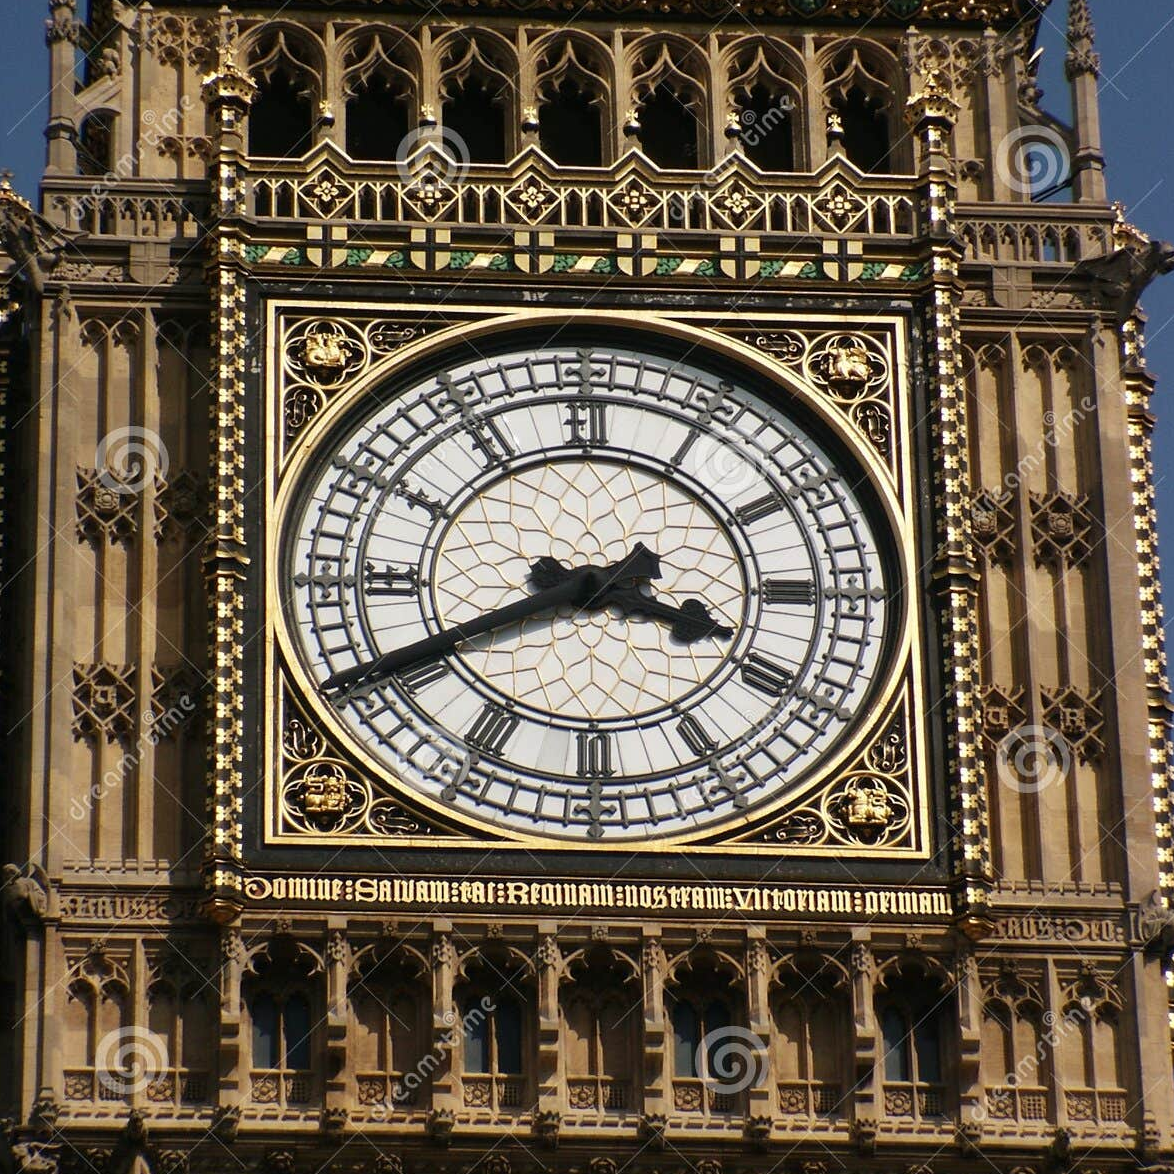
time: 3:40
